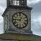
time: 12:46
